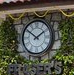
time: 1:50
